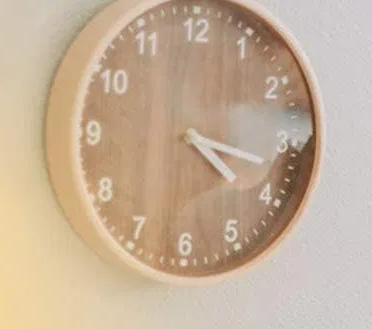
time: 4:17
